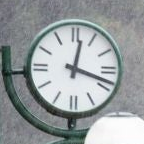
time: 12:18
